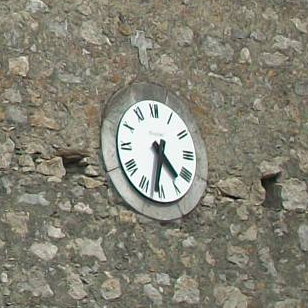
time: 4:32
